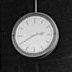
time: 2:40
